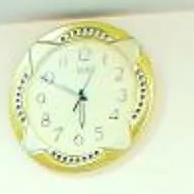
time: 12:49
